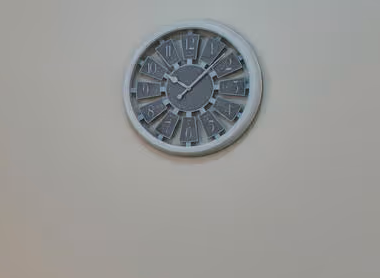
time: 10:07
